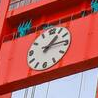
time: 1:13
